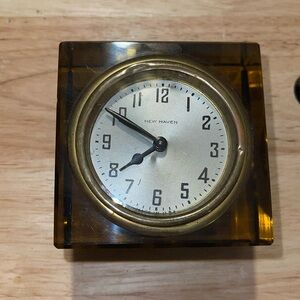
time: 7:49
